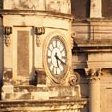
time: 5:18
